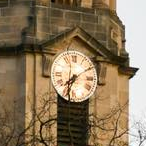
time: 7:33
